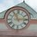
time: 11:13
